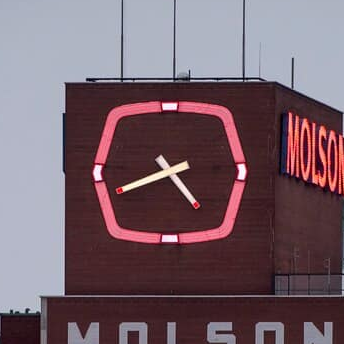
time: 4:41
